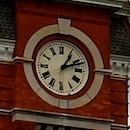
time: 1:11
